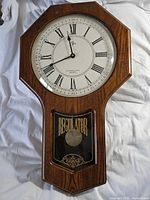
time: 11:41
